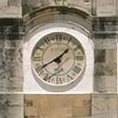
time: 1:40
